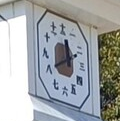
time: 11:40
